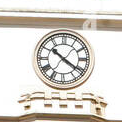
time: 10:20
